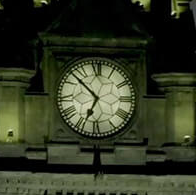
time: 6:52
